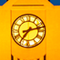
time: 7:12
